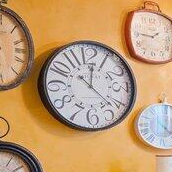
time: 12:22
